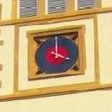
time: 4:00
